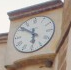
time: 5:51
